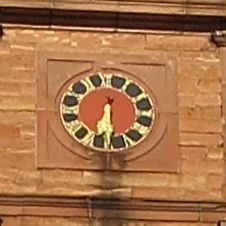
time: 6:29
